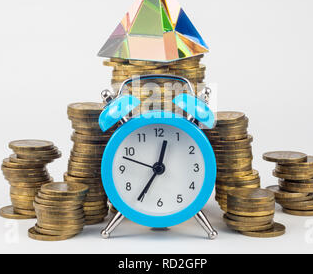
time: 12:35
